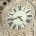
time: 4:42
